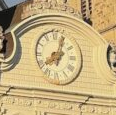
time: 8:03
